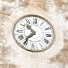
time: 10:36
